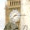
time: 2:38
